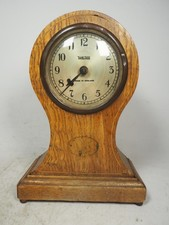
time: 7:37
